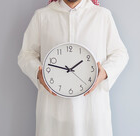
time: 1:47
